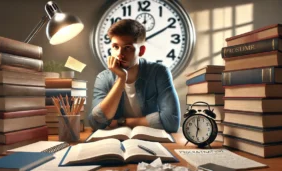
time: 12:10
